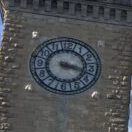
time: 3:18
